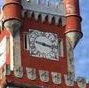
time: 9:16
